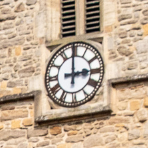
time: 2:59
